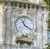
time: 11:21
